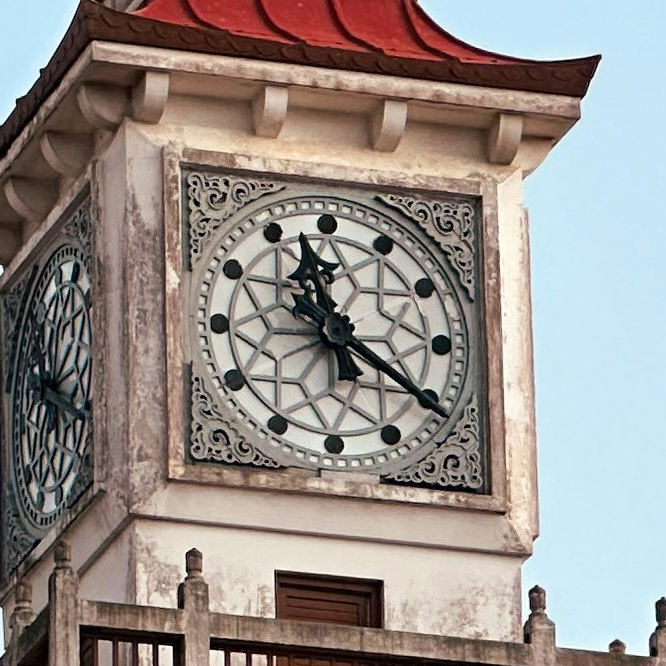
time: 11:20
